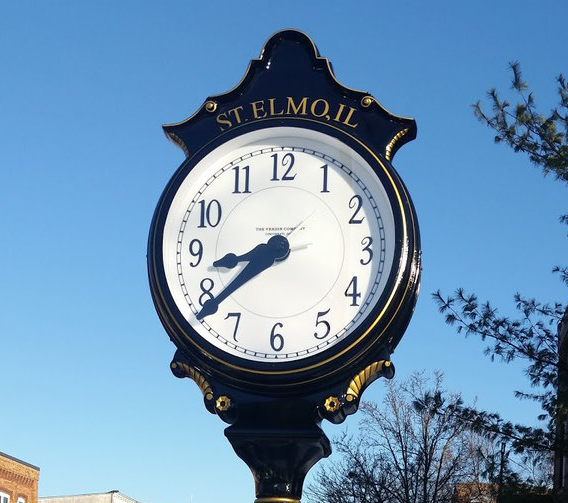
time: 8:38
